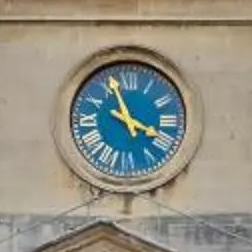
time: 3:56
